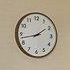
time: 1:42
